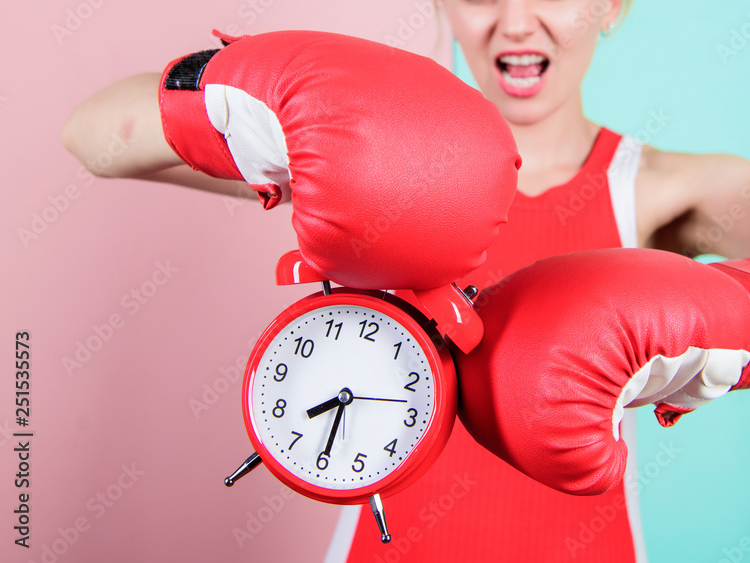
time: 7:29
